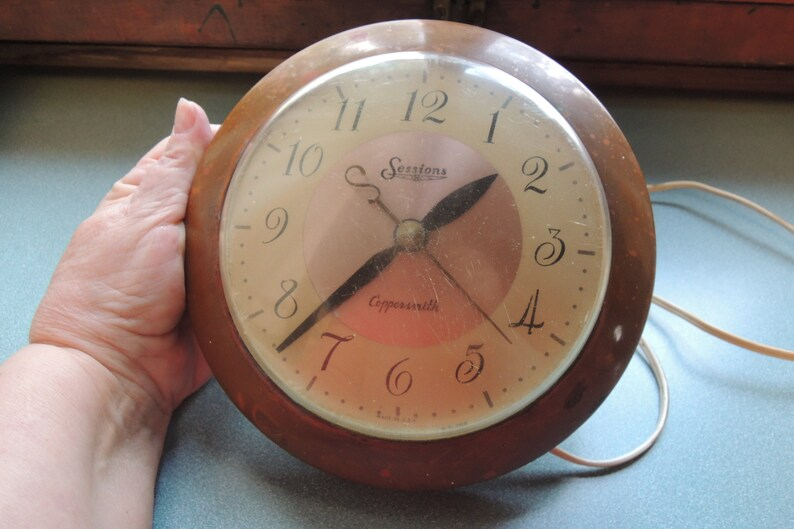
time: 1:37
